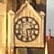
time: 2:29
